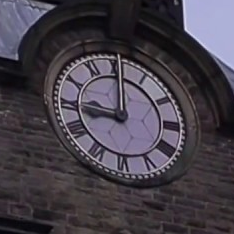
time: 9:00
